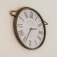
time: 2:34
